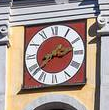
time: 2:38
